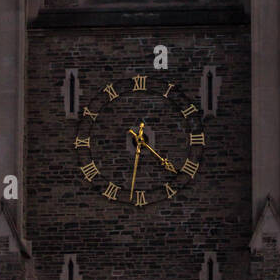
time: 4:31
